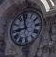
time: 8:58
